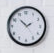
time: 1:52
